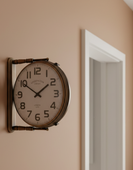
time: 1:50
